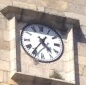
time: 4:36
